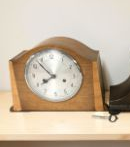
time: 7:53
